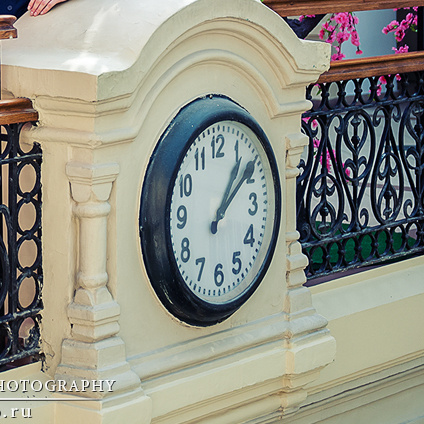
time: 1:08
